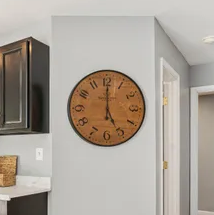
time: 5:00
